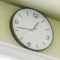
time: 12:41
